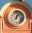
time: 12:05
